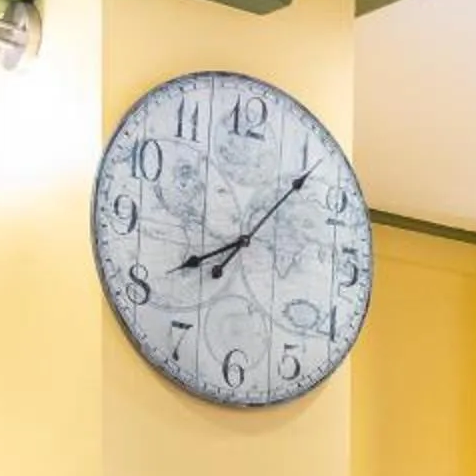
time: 8:06
